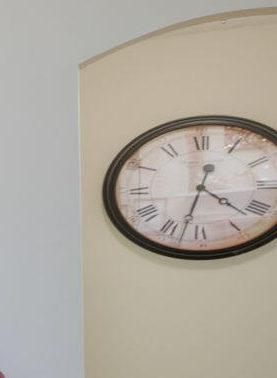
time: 4:32
